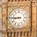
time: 8:45
